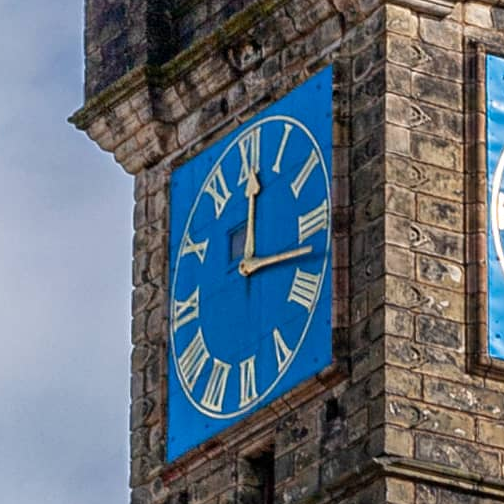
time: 12:16
